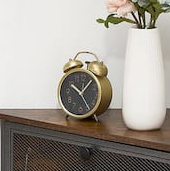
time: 10:07
